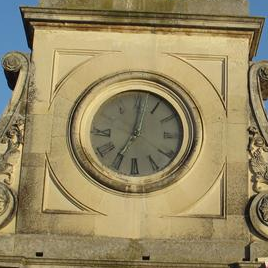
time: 7:01
